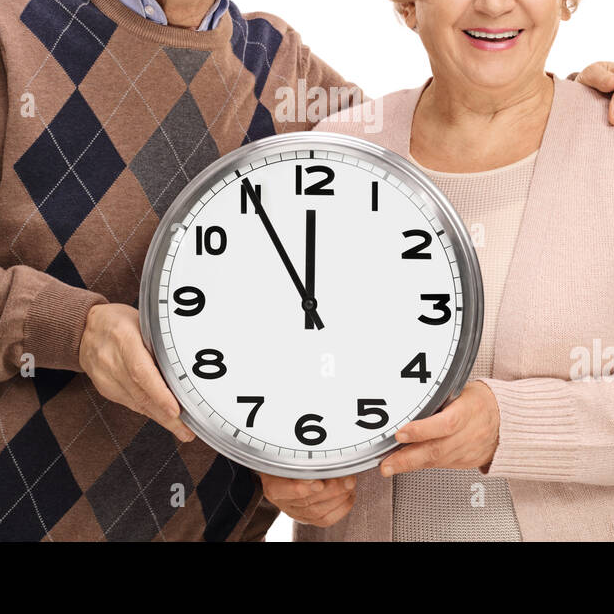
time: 11:55
